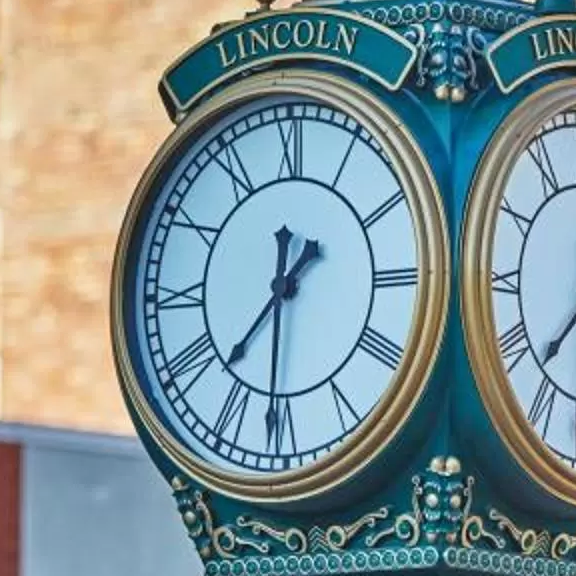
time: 7:31
